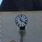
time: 11:18
